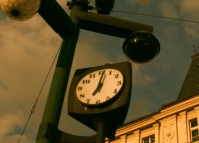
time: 7:01
